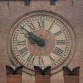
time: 9:51
